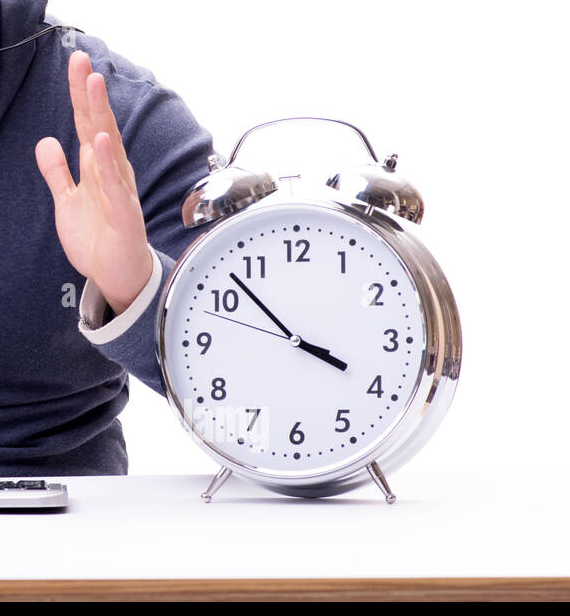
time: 3:52
